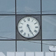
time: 11:25
